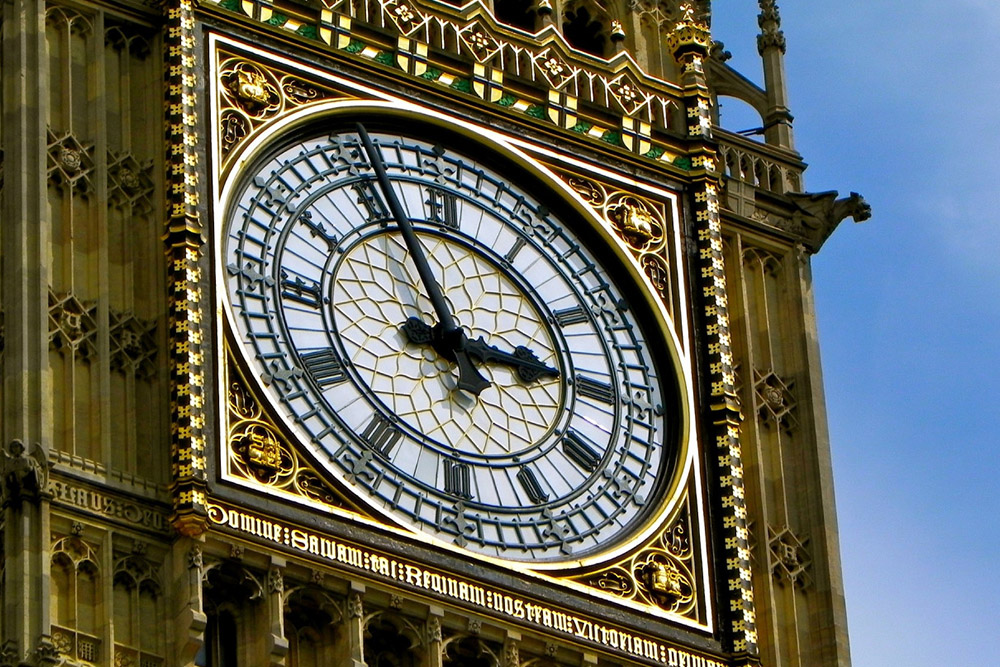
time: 2:56
